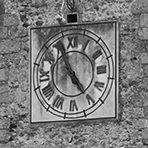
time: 4:56
